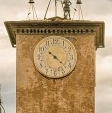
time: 10:21
